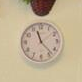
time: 11:23
